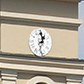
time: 12:59
